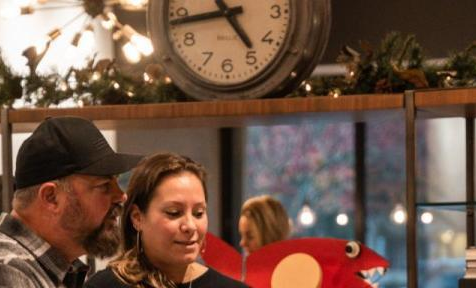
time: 4:43
